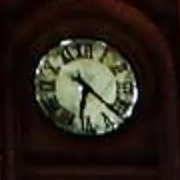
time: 6:22
